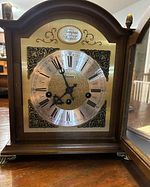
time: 7:55
